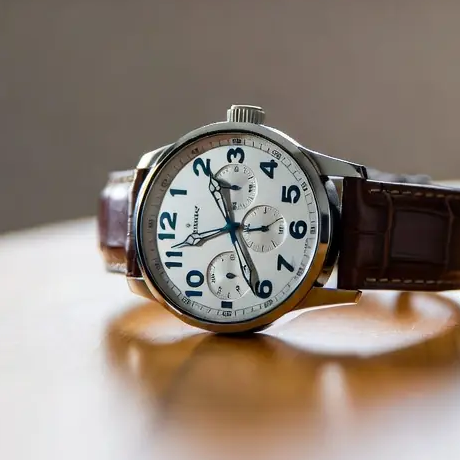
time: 11:25
